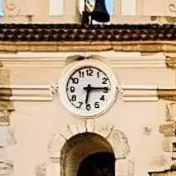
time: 6:14
